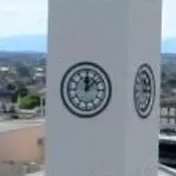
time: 12:07
